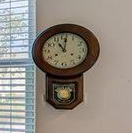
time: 11:01
